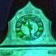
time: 10:28
